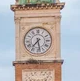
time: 7:28
